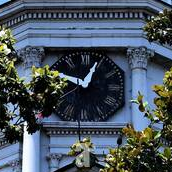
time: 12:48
